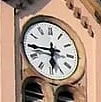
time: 5:44
